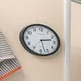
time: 2:27
